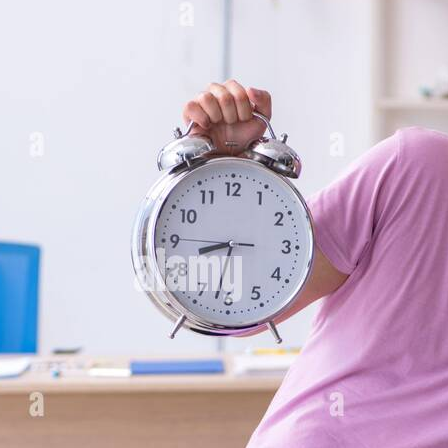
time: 8:32
